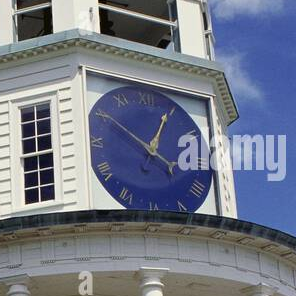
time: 4:04
